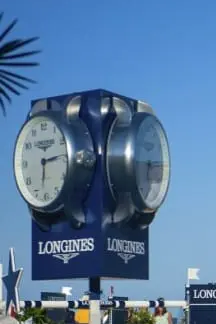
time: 6:14
